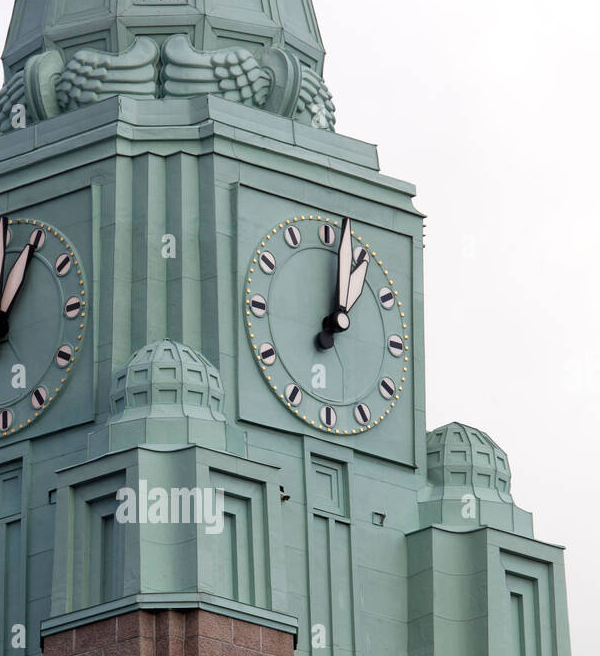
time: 1:02
